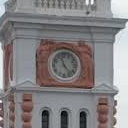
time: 11:23
